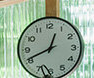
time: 12:41
